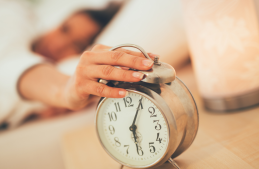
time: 6:05
